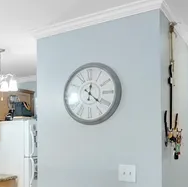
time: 12:21
